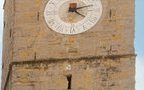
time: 4:12
